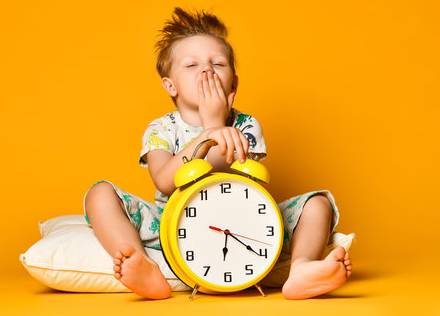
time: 6:20
